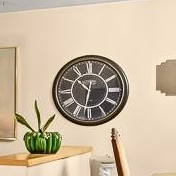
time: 10:31
